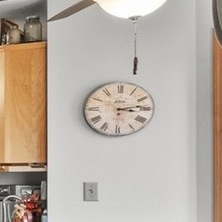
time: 3:13
